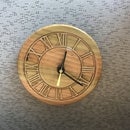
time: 12:21
